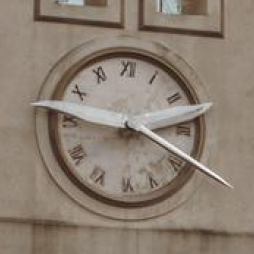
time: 3:45
